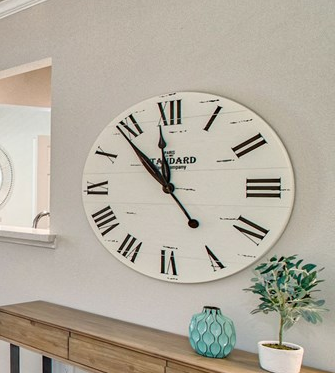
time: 11:53
